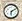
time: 6:10
